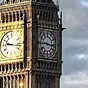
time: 9:16
